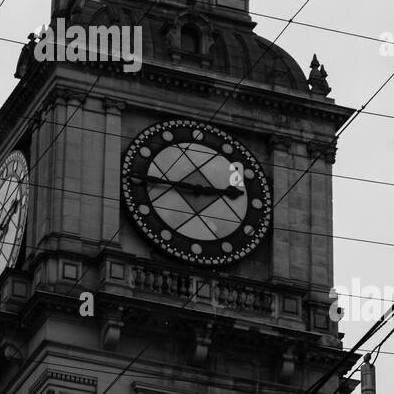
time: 2:45
